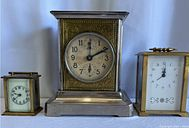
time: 12:10
